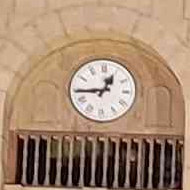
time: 12:44
